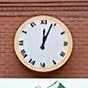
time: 12:03
